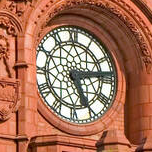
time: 5:13
